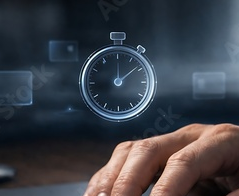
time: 12:08
